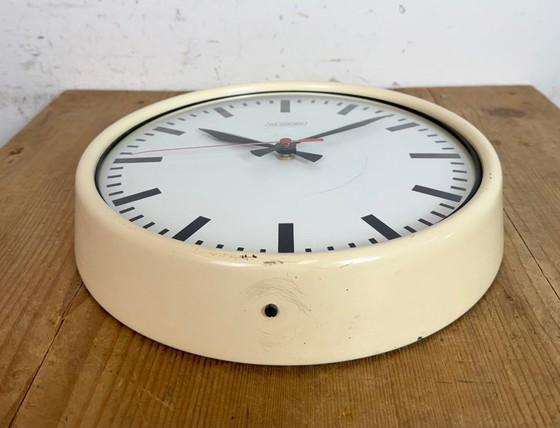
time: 10:08
